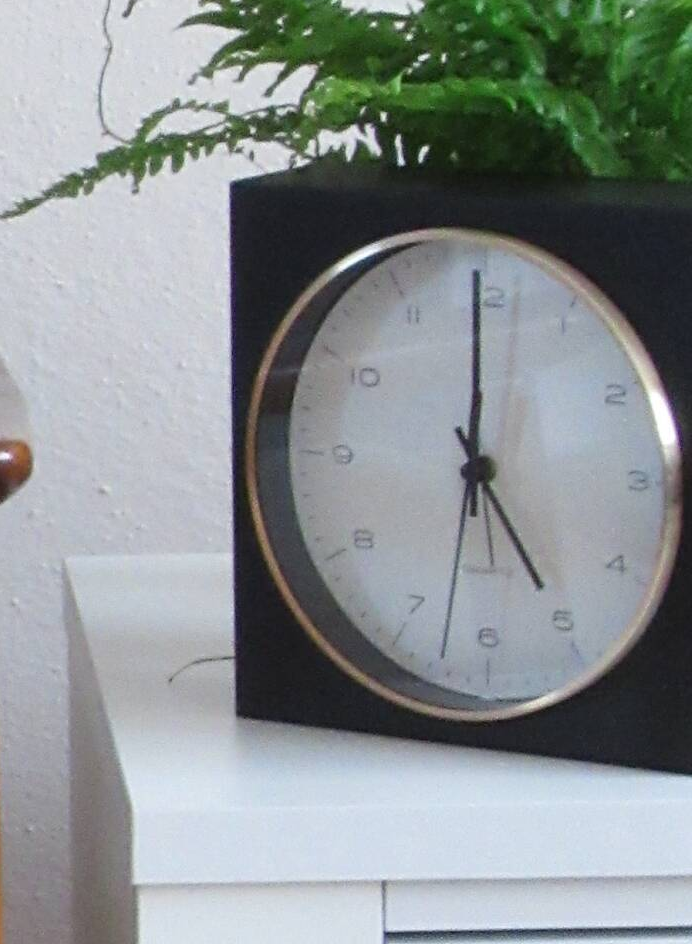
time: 4:59
